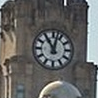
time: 11:02
